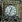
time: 12:32
